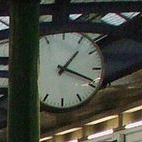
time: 1:18
